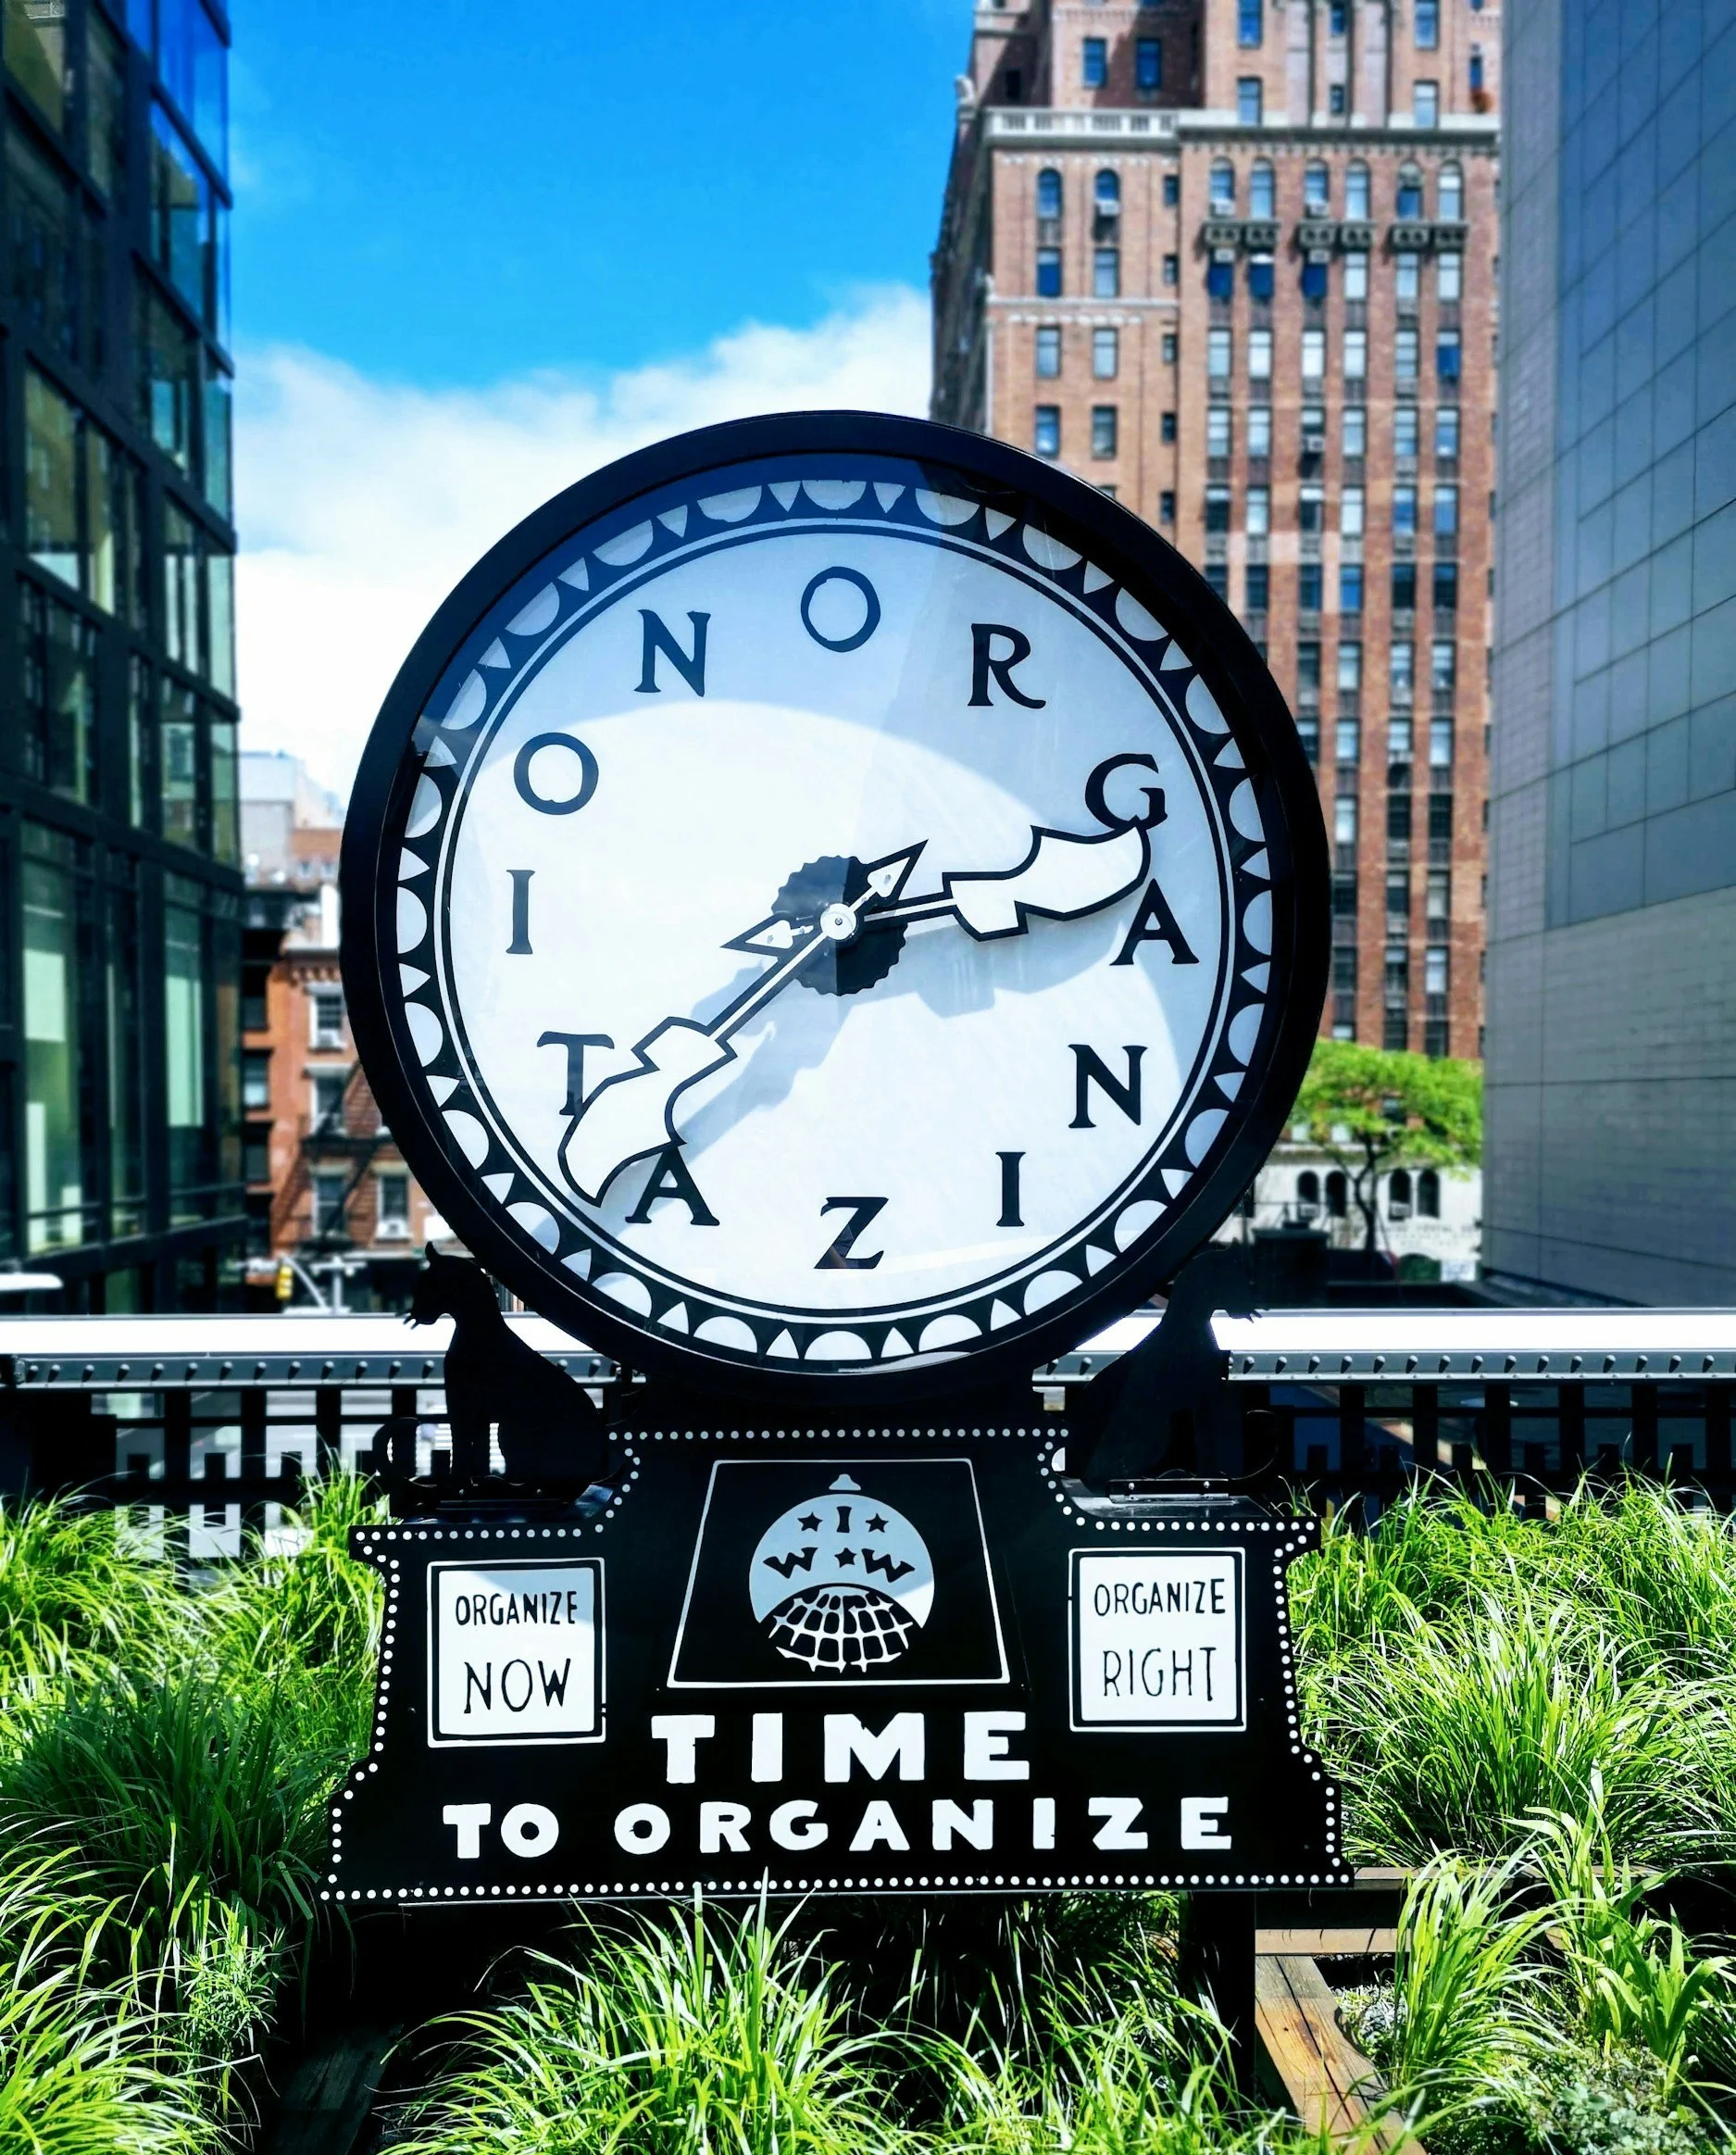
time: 2:37
